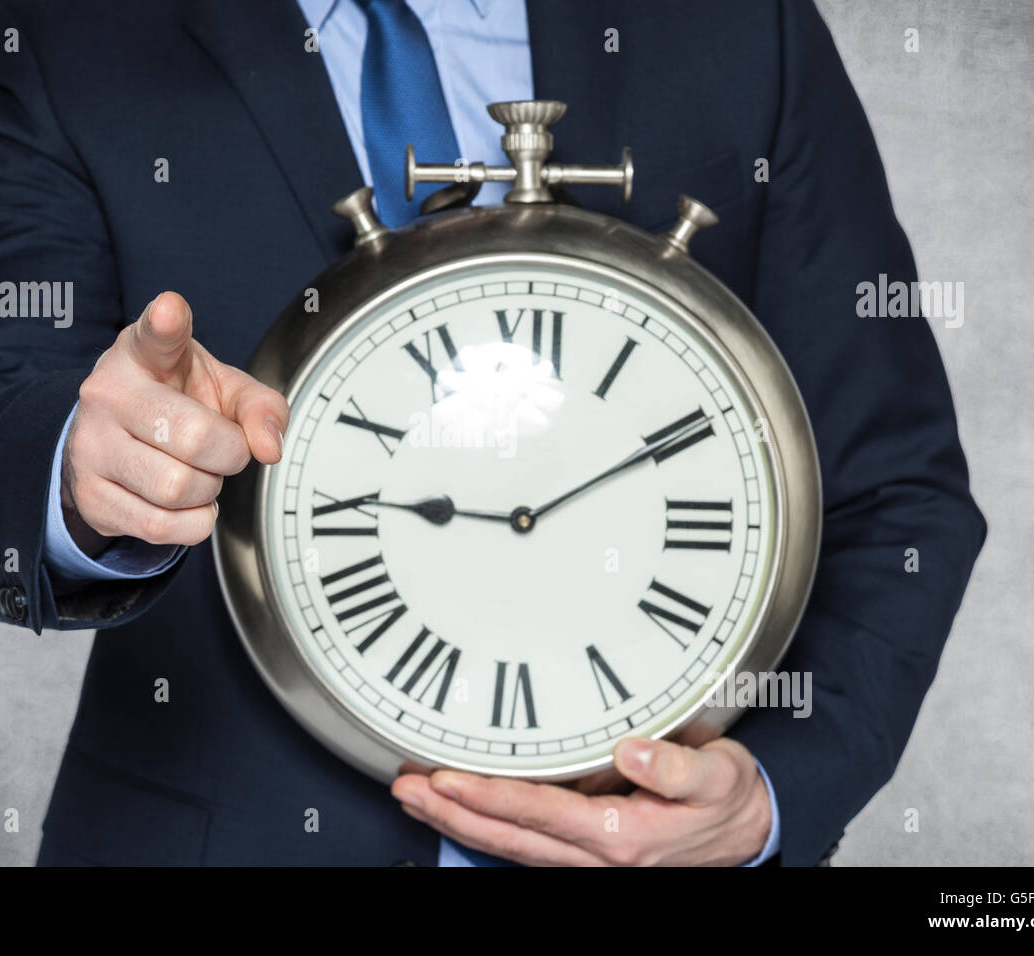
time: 9:10
